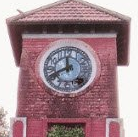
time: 11:41
